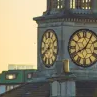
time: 12:40
